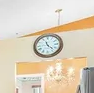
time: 11:22
